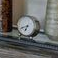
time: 6:41
